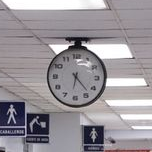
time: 6:23
